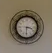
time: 3:30
